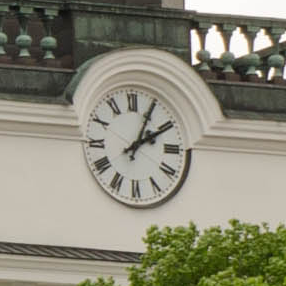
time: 2:04
